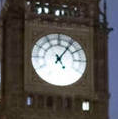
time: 5:06
